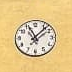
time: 11:07
